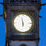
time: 5:58
